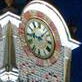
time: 9:07
